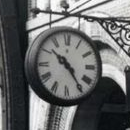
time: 10:24
